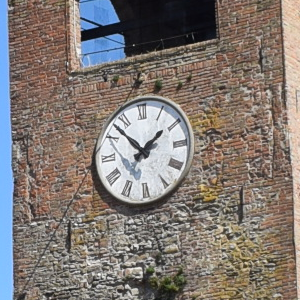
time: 1:52
